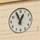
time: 12:55
